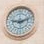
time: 9:11
